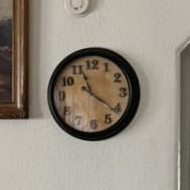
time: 11:21
